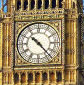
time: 10:23
